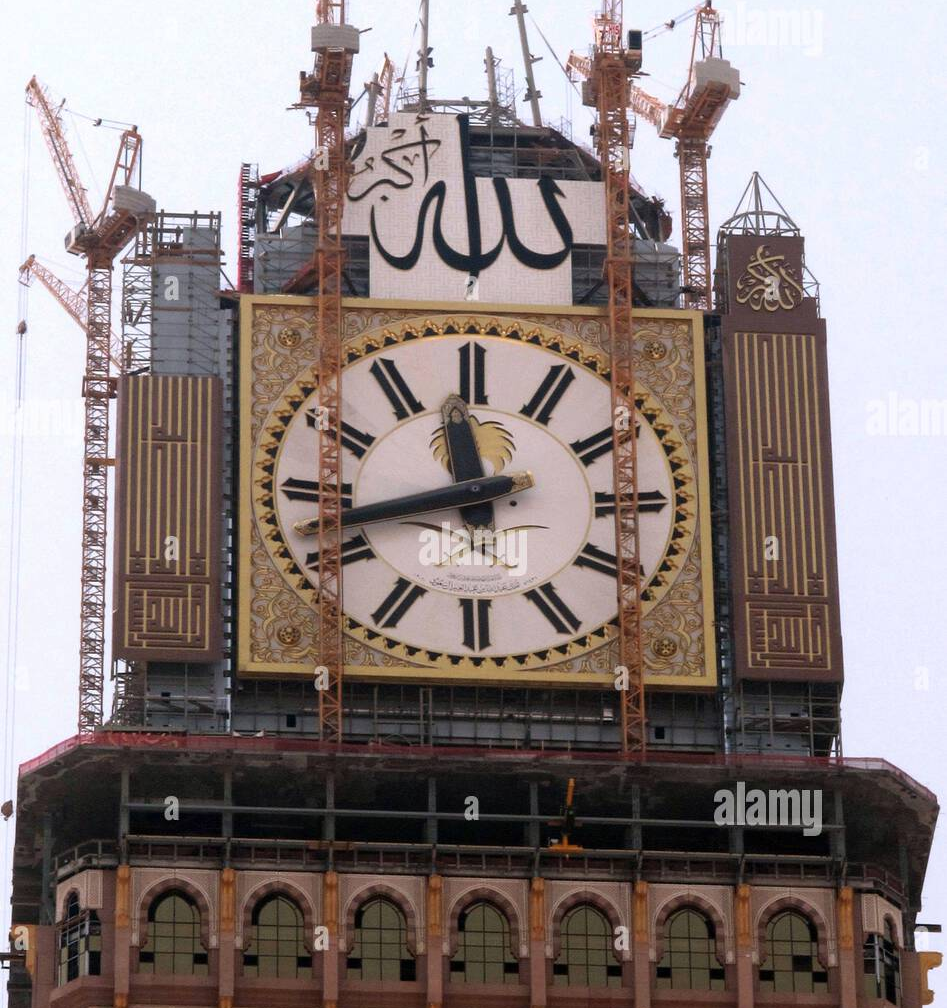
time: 11:42
